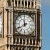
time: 11:39
